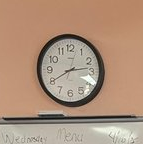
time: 2:40
